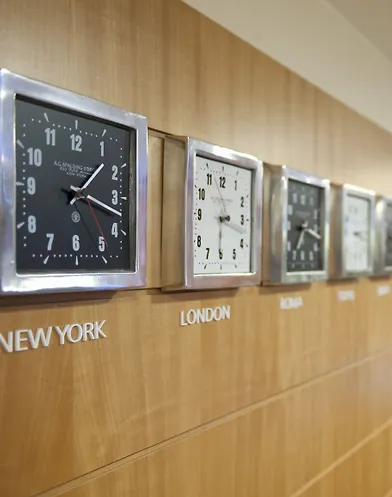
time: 1:18
